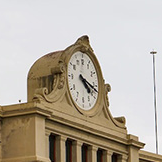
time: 4:17
